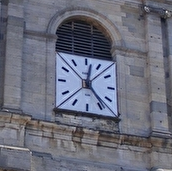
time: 12:23
